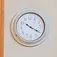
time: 10:20
